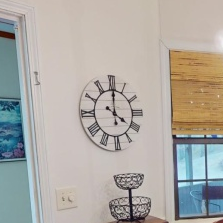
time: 4:00
